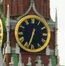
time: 12:33
